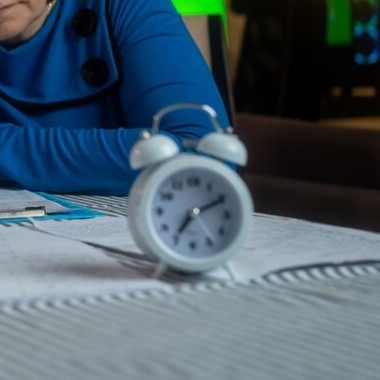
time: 7:10
